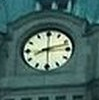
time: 8:12
